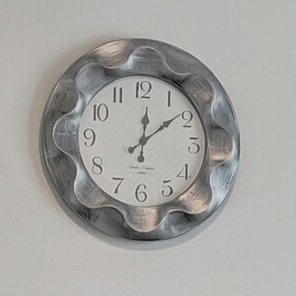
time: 12:08
